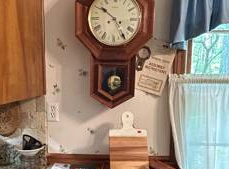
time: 4:50
